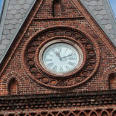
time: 11:11
